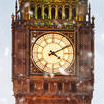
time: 4:10
